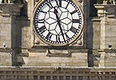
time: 11:26
